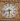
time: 5:42
